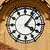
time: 4:06
